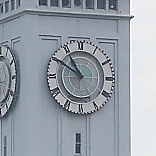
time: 10:50
